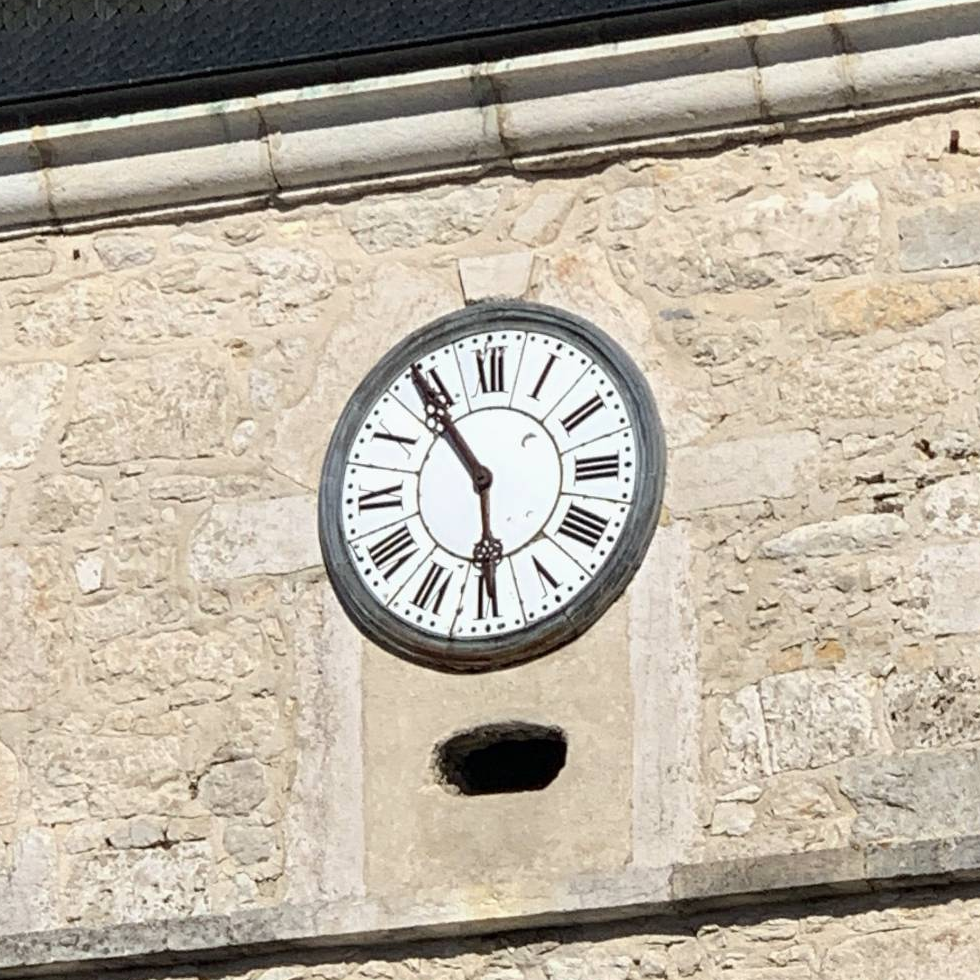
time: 5:54
